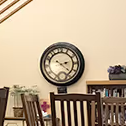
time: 2:21
